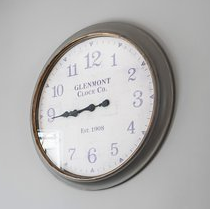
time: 8:44
